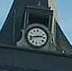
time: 2:42
